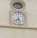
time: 7:27
